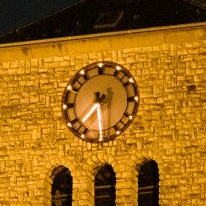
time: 7:29
